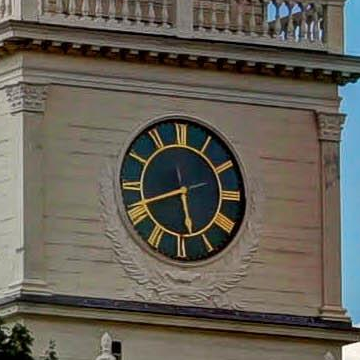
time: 5:41
